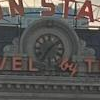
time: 7:08
